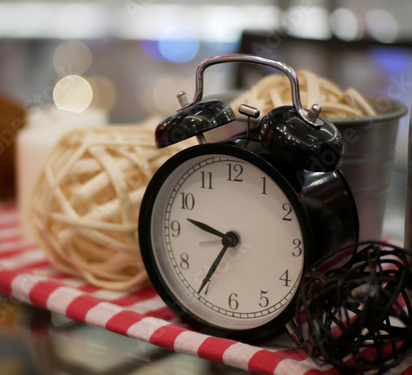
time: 9:35
